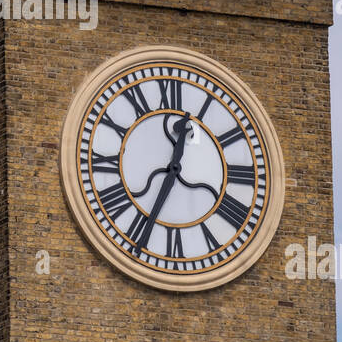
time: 12:34
